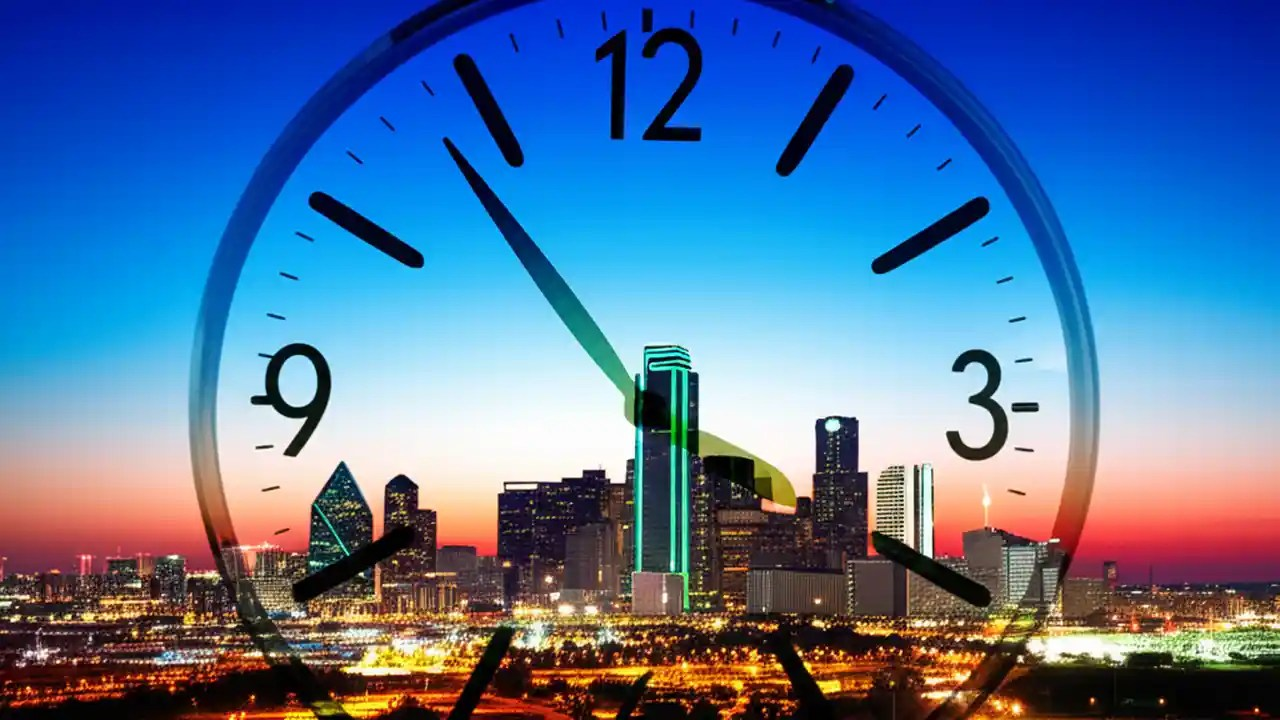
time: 5:53
